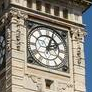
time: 2:03
